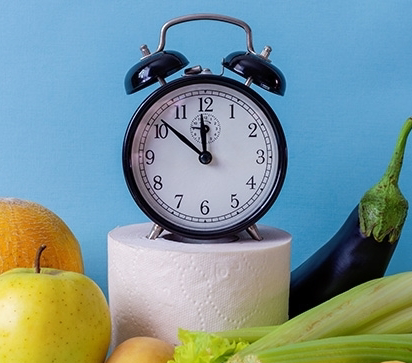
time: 11:51
